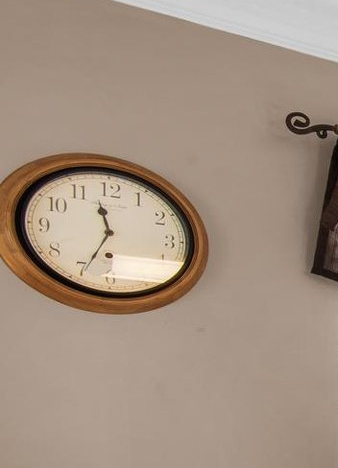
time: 11:33
